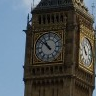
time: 10:52
